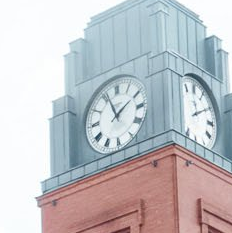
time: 1:56
